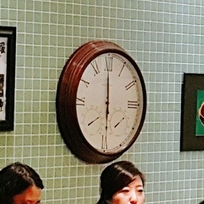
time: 5:59
